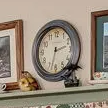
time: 2:32
